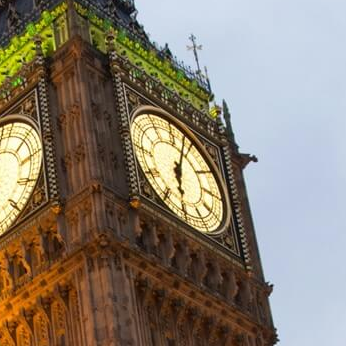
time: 6:03
